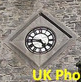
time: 4:46
